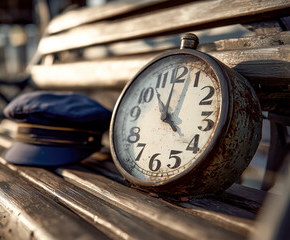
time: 4:02
